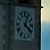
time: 4:04
